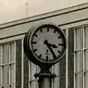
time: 3:24
